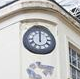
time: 12:00
